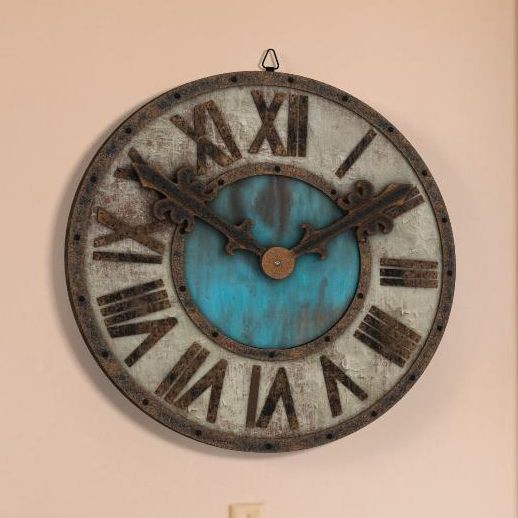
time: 1:50
